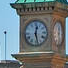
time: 12:27
